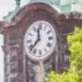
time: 11:37
